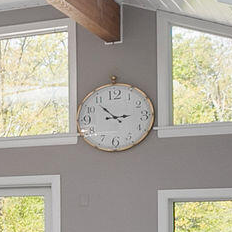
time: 2:53
